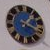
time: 1:18
